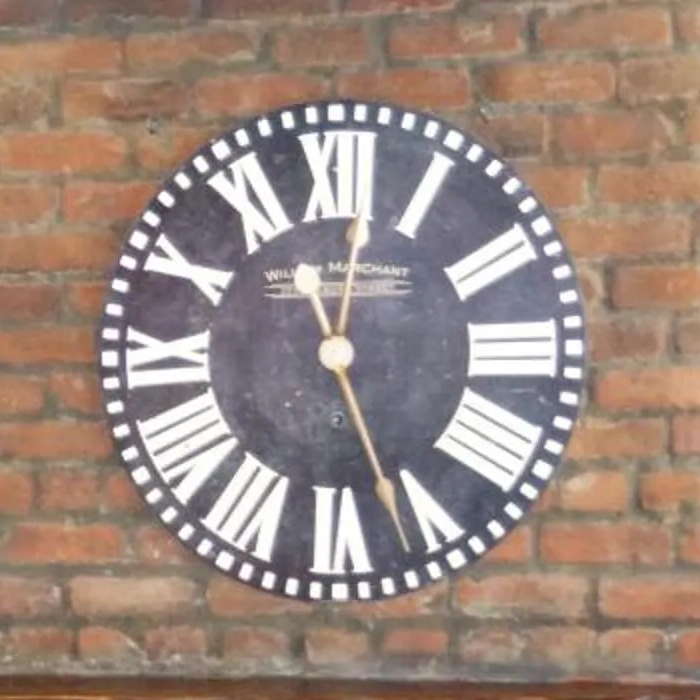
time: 12:26
